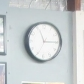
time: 11:14
